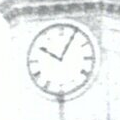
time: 10:04
